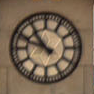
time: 10:48
